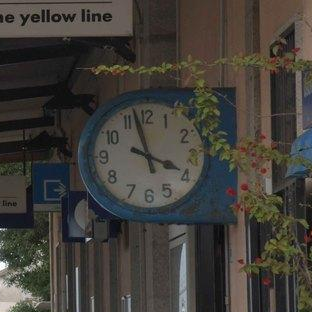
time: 3:57
